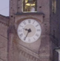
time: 9:35
